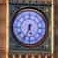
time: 5:33
